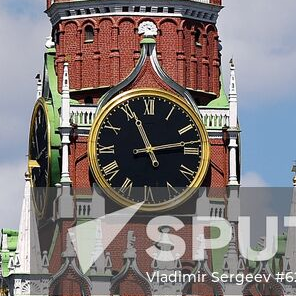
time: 11:13
